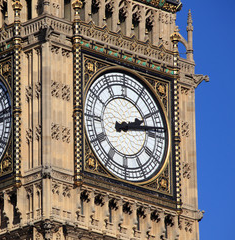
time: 2:13
